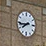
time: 7:43
